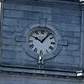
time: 10:06
